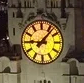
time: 9:07
